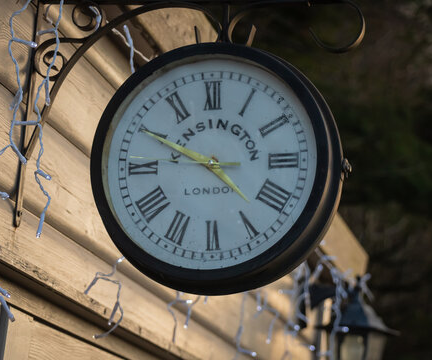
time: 2:49
